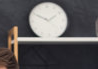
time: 1:49
